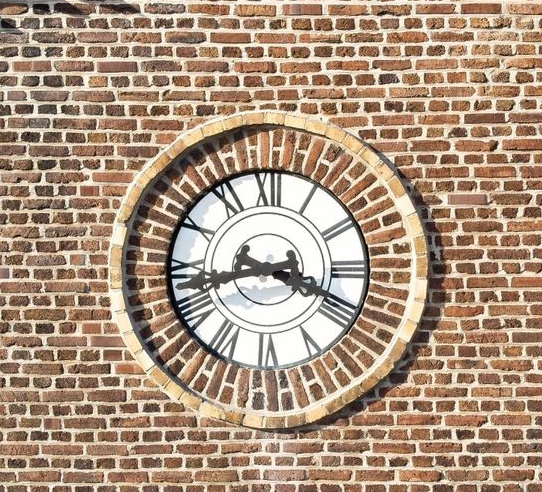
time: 3:42
